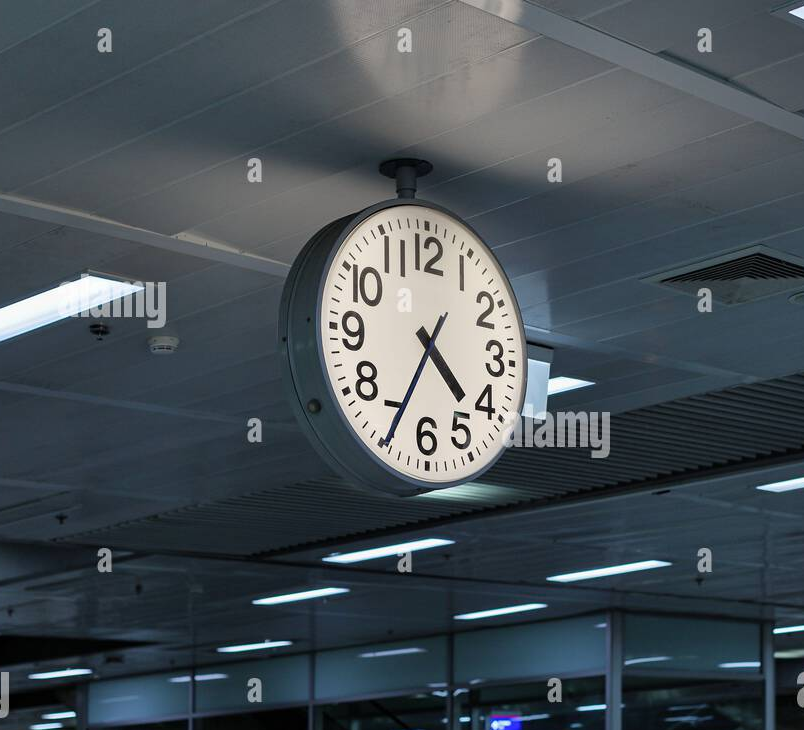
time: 4:34
